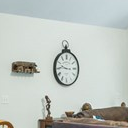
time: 9:45
